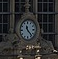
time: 11:23
